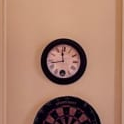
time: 11:42
